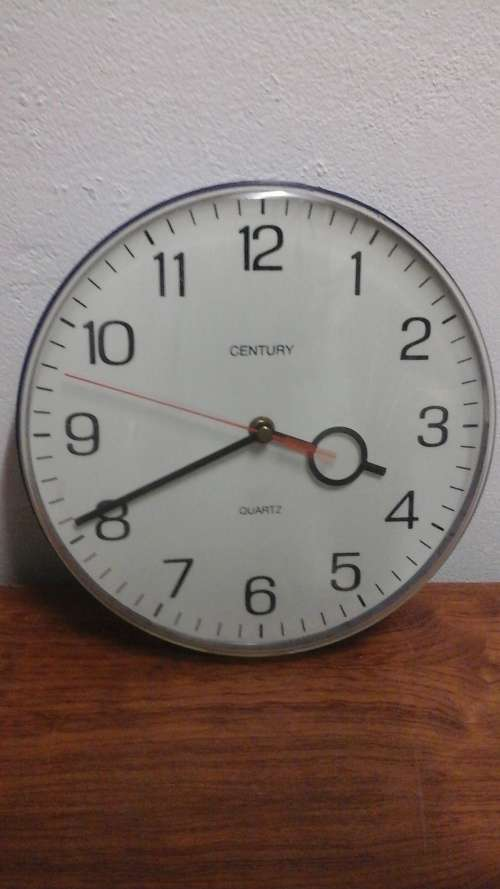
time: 3:40
